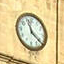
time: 11:21
